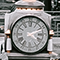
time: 4:11
